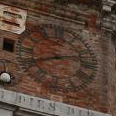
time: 8:12
